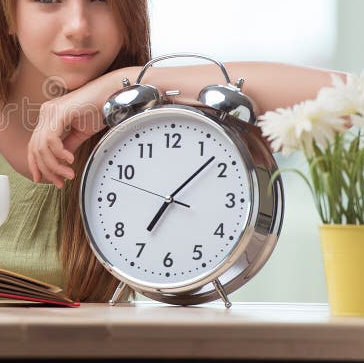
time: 7:07
